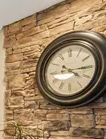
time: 4:14
